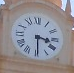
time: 3:29
